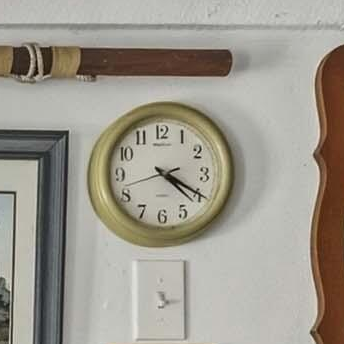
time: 4:19
